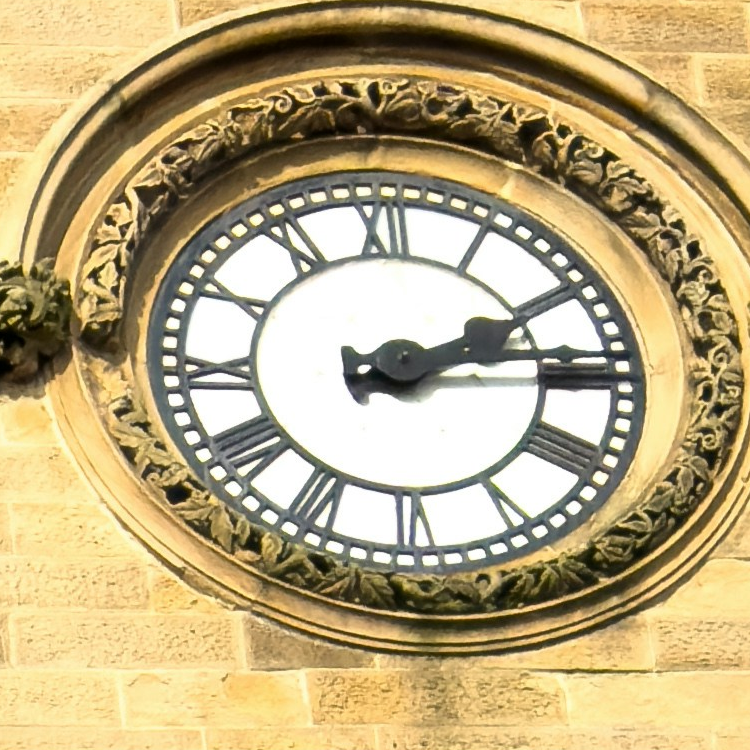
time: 2:14
